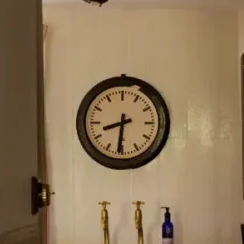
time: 8:31
